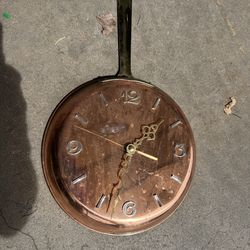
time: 3:33
